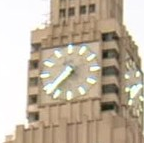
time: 7:37
